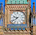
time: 9:38
